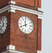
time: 11:40
